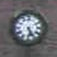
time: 5:24
